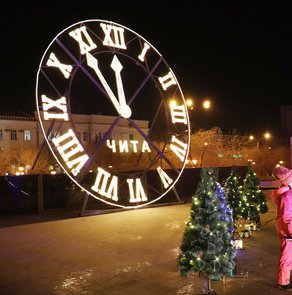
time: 11:54
